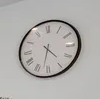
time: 4:32
